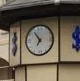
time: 6:54
